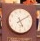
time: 5:09
